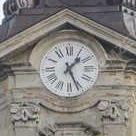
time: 1:26
